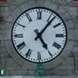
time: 5:06
